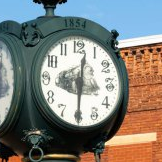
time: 12:30
